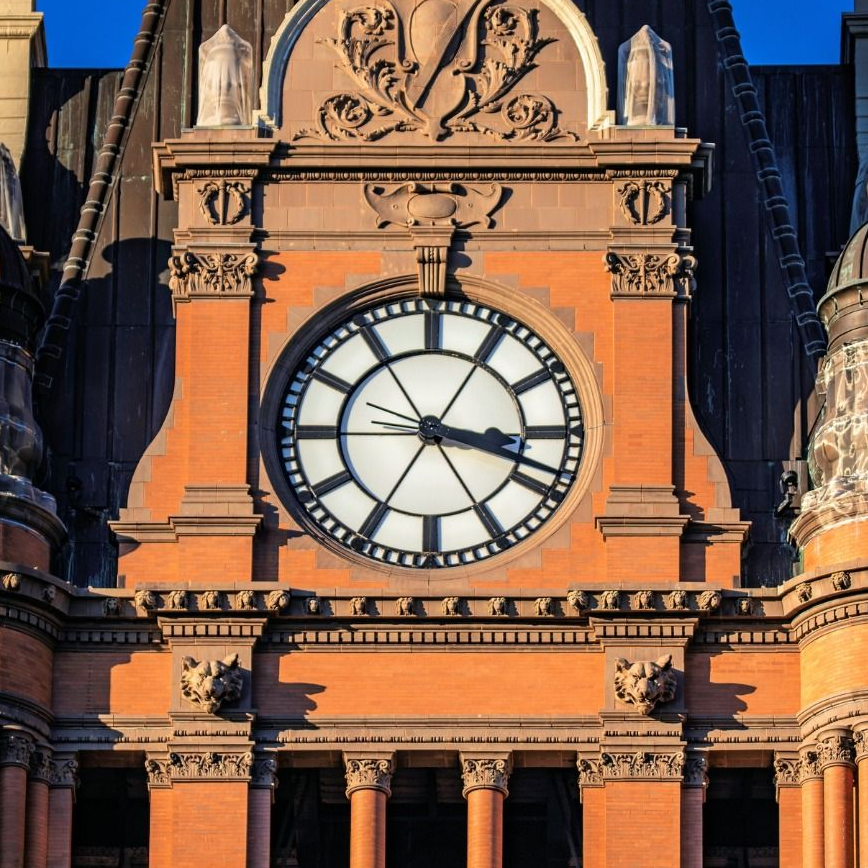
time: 3:18
